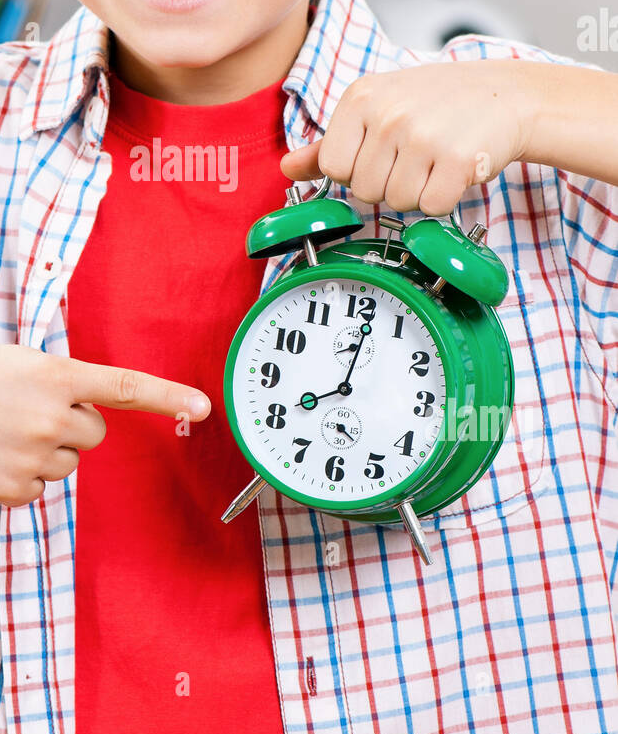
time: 8:01
